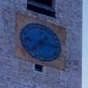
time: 7:15
